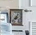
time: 12:37
